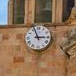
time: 2:56
